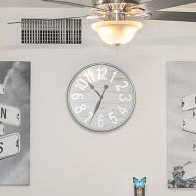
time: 10:34
